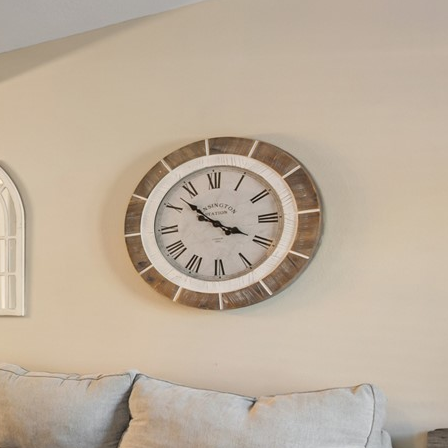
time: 3:52
